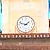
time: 1:47
